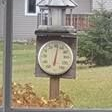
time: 6:01
